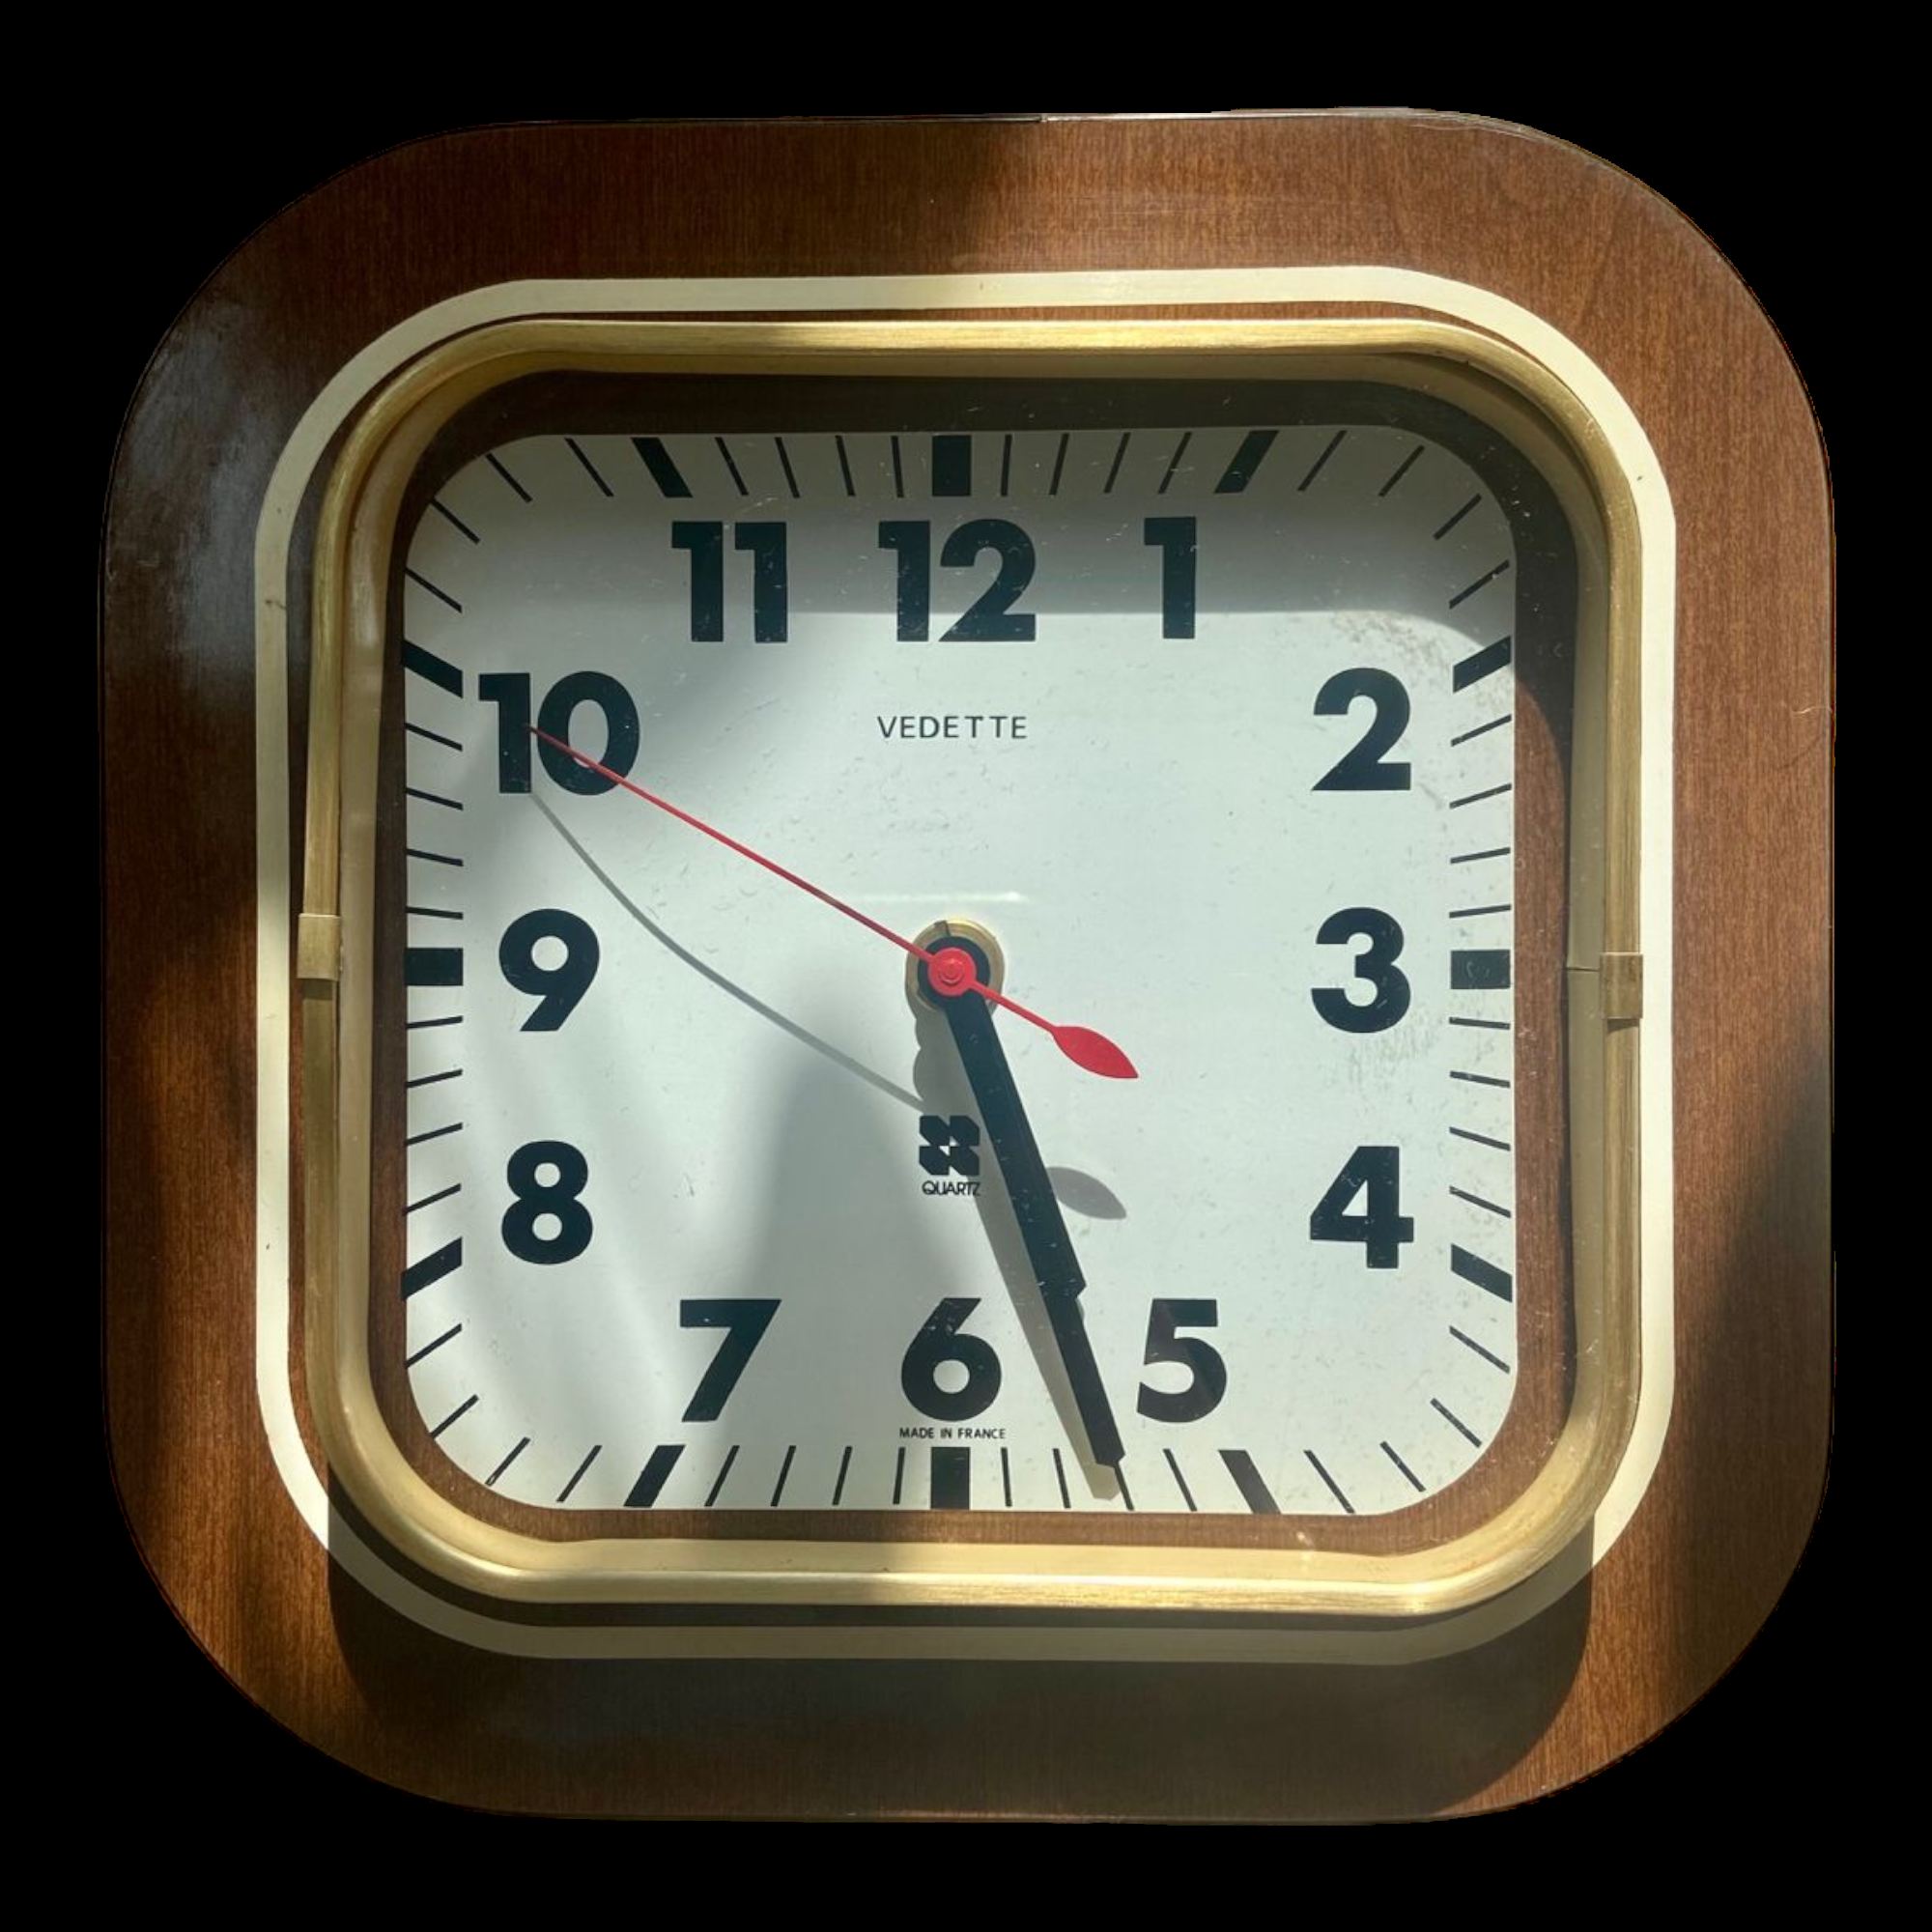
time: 5:26
